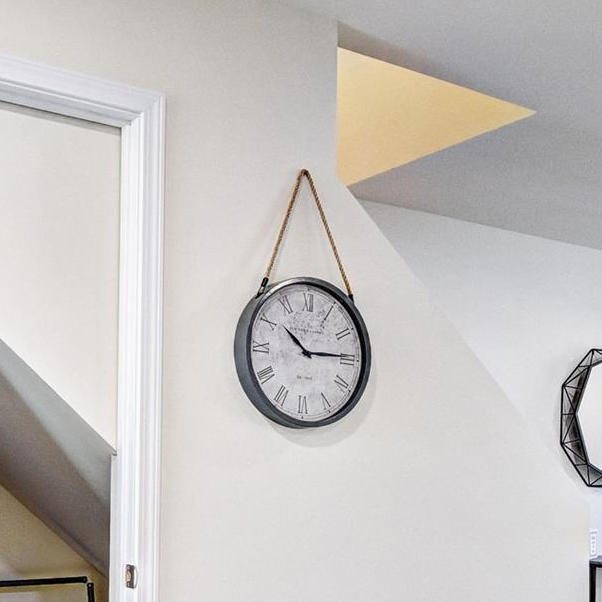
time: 10:14
